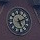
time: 5:11
